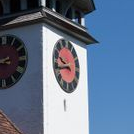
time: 9:43
